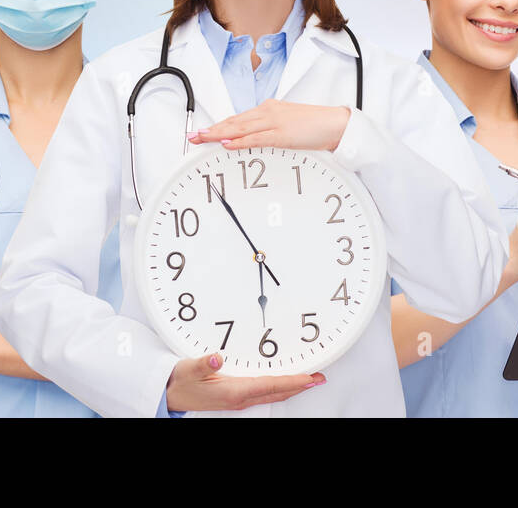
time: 5:55
